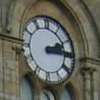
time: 2:14
